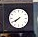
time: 7:40
